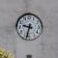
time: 9:33
